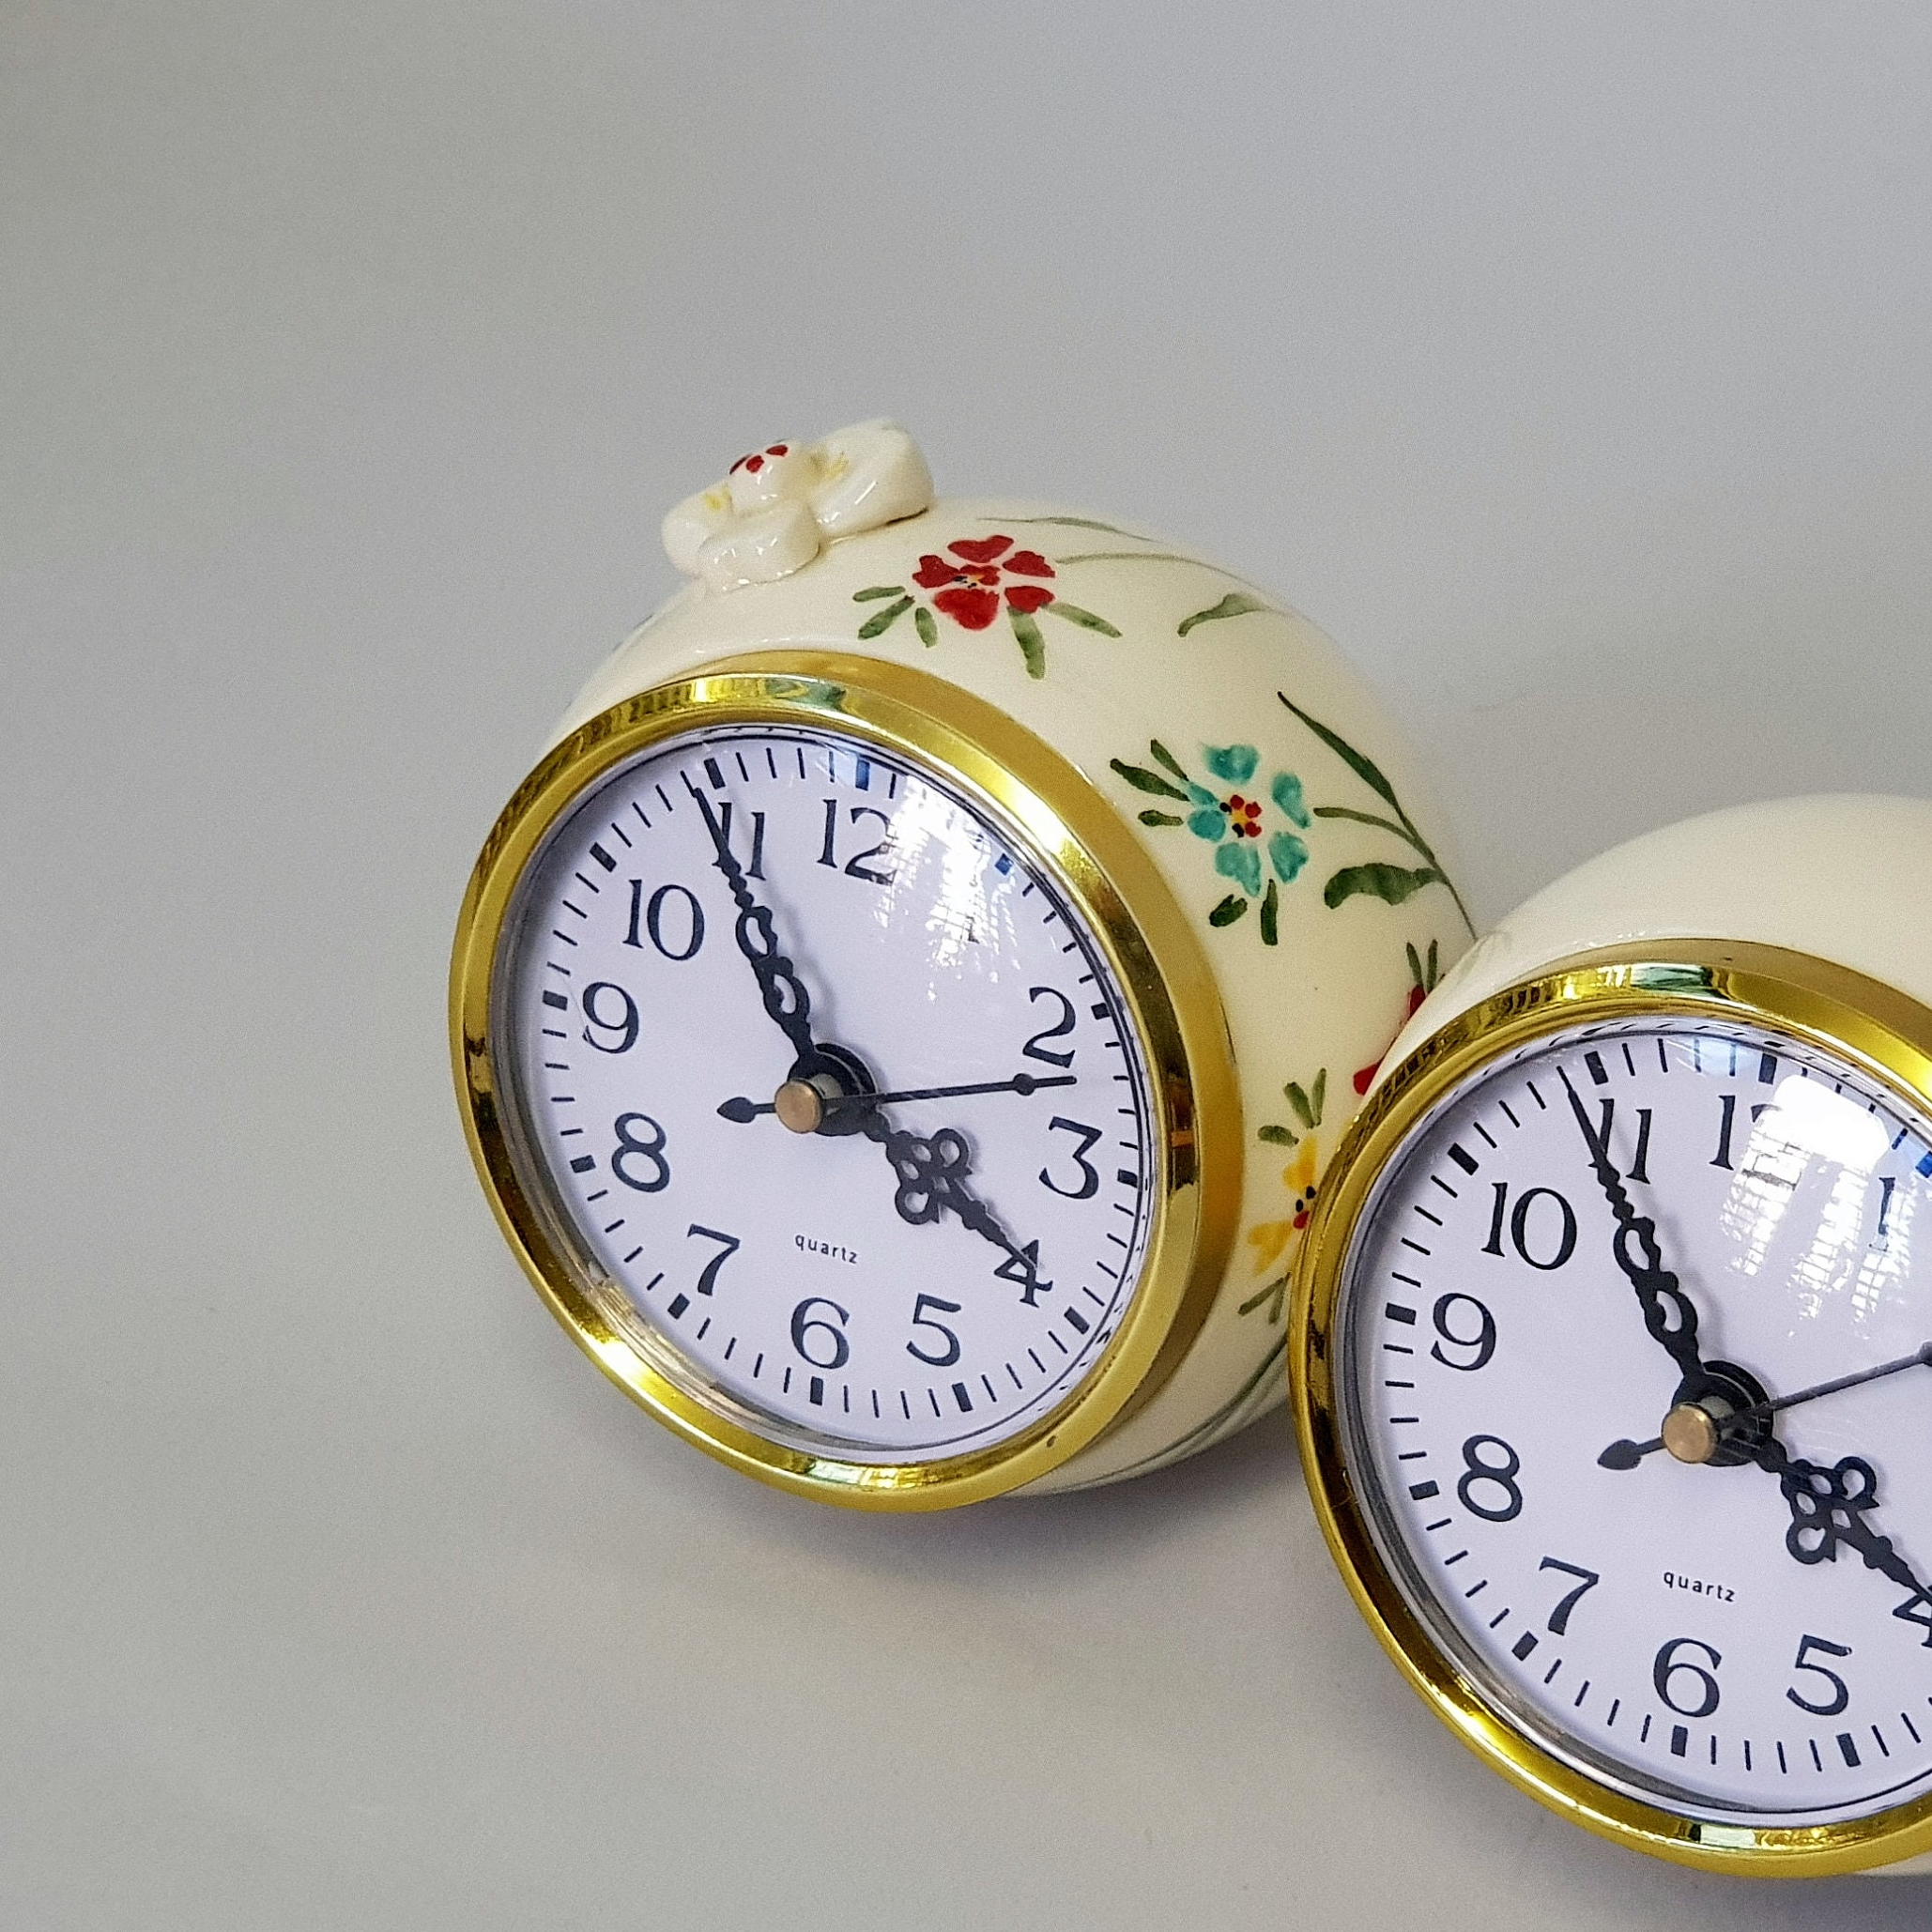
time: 3:54
